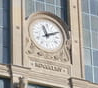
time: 11:11
